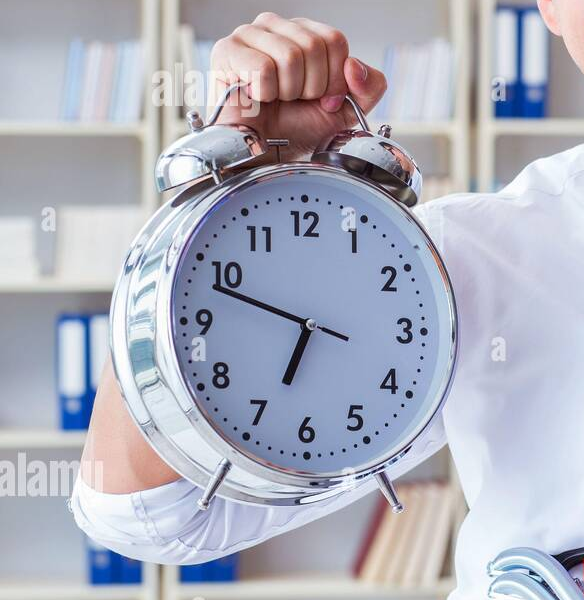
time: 6:48
